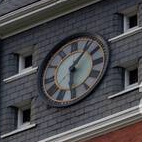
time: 6:06
